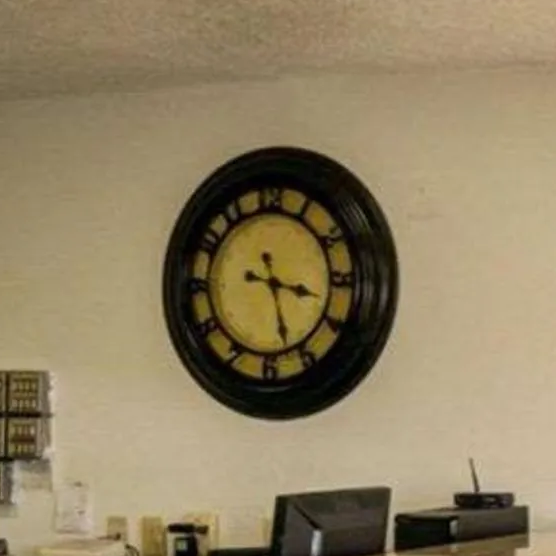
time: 3:27
